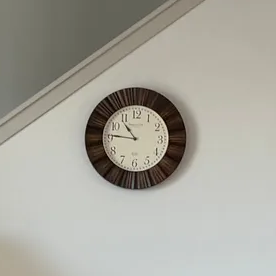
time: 10:45
